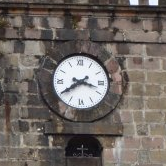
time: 3:39
